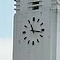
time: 11:16
